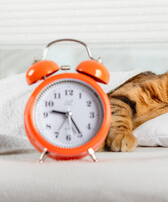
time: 9:24
